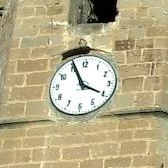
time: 3:55
